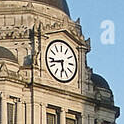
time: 5:42
